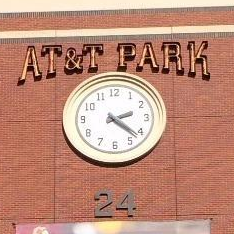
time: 2:21
